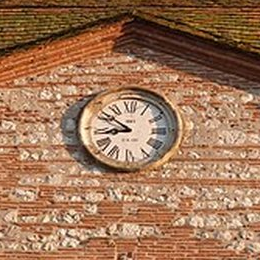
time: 8:51
